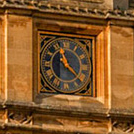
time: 11:21
